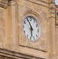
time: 5:55
